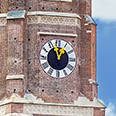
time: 12:57
